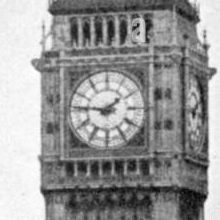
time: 1:46
